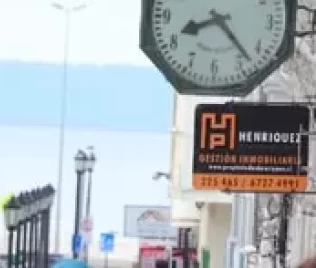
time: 8:23
